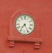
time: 7:25
